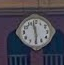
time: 11:29
